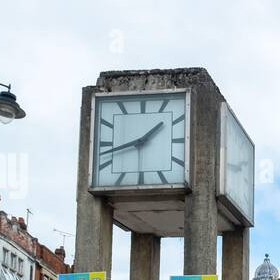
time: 1:42
